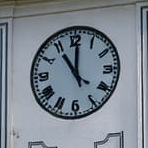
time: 11:00
